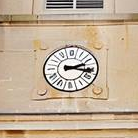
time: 2:16
